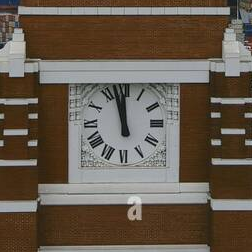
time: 11:57
